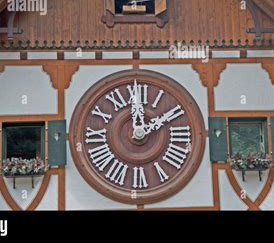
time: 12:09
